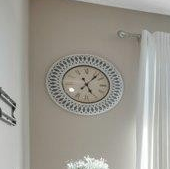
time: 5:06
